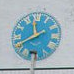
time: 11:40
